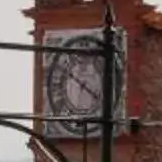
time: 10:20
